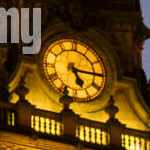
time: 5:15
